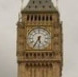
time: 5:35
